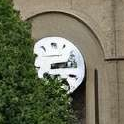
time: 3:13
